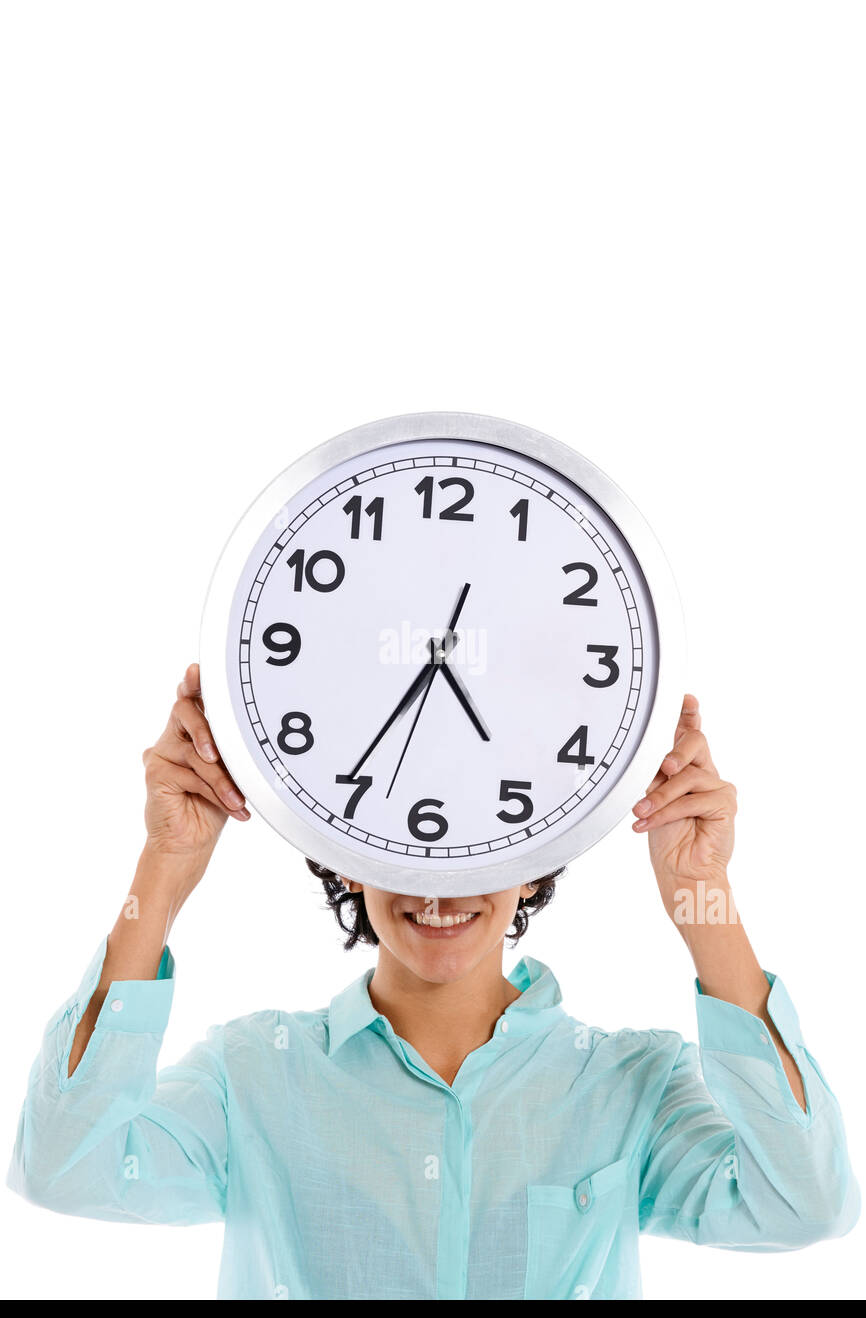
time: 4:35
